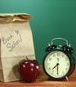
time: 7:30
